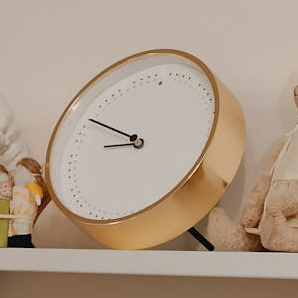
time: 8:49
